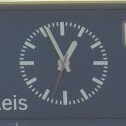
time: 12:56
